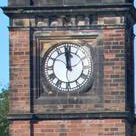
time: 11:58
